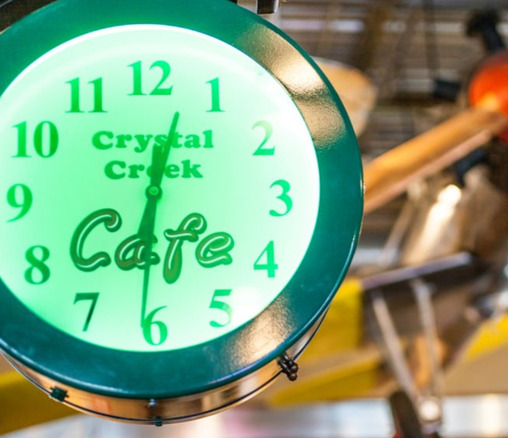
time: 12:31
